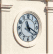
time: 11:19
